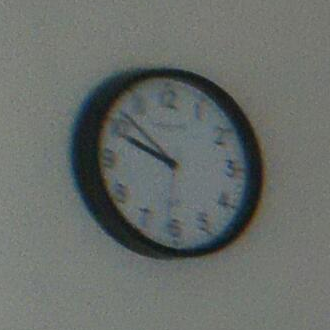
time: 9:52
